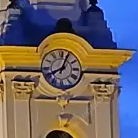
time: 8:04
